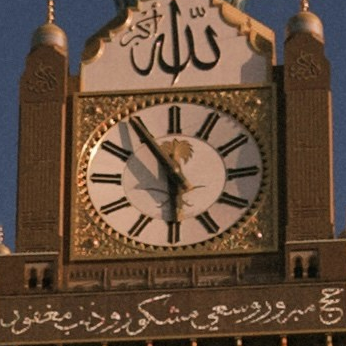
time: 5:54
